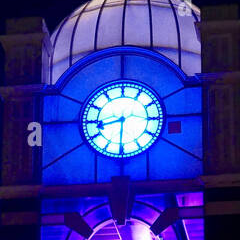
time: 8:30
